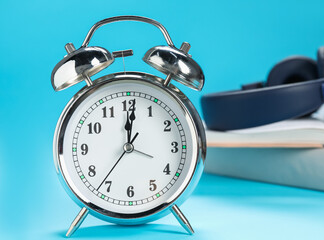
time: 12:01
